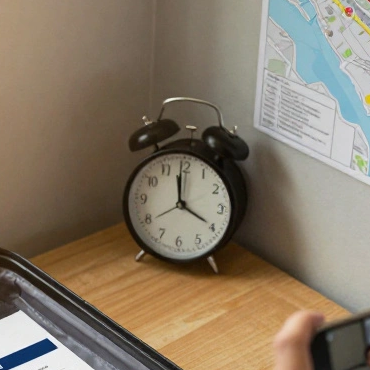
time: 3:59
